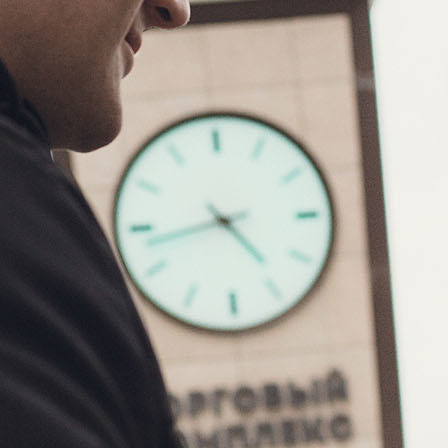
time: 4:42
